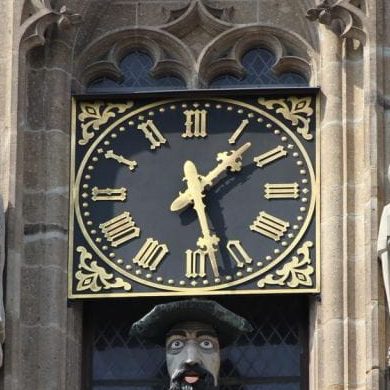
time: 1:28
